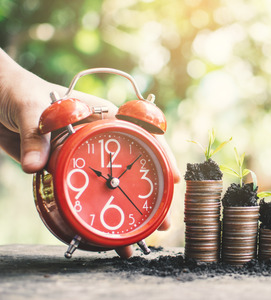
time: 10:07
